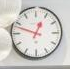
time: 12:48
